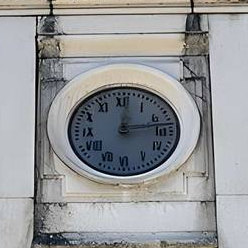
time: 12:13
